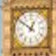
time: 12:51
